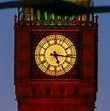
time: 5:16
